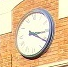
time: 3:20
